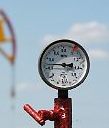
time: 2:46
